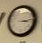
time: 3:13
